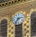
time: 2:36
